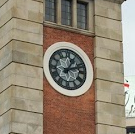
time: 1:11
